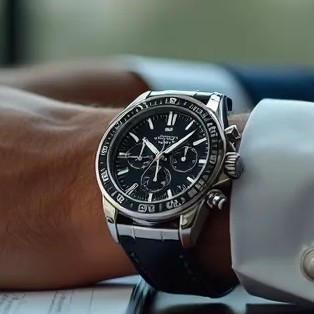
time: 10:07
